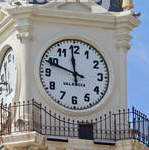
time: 11:48
